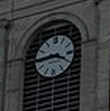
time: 3:44
